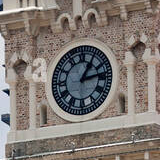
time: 1:13
